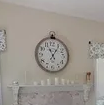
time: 11:05
